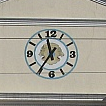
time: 11:35
